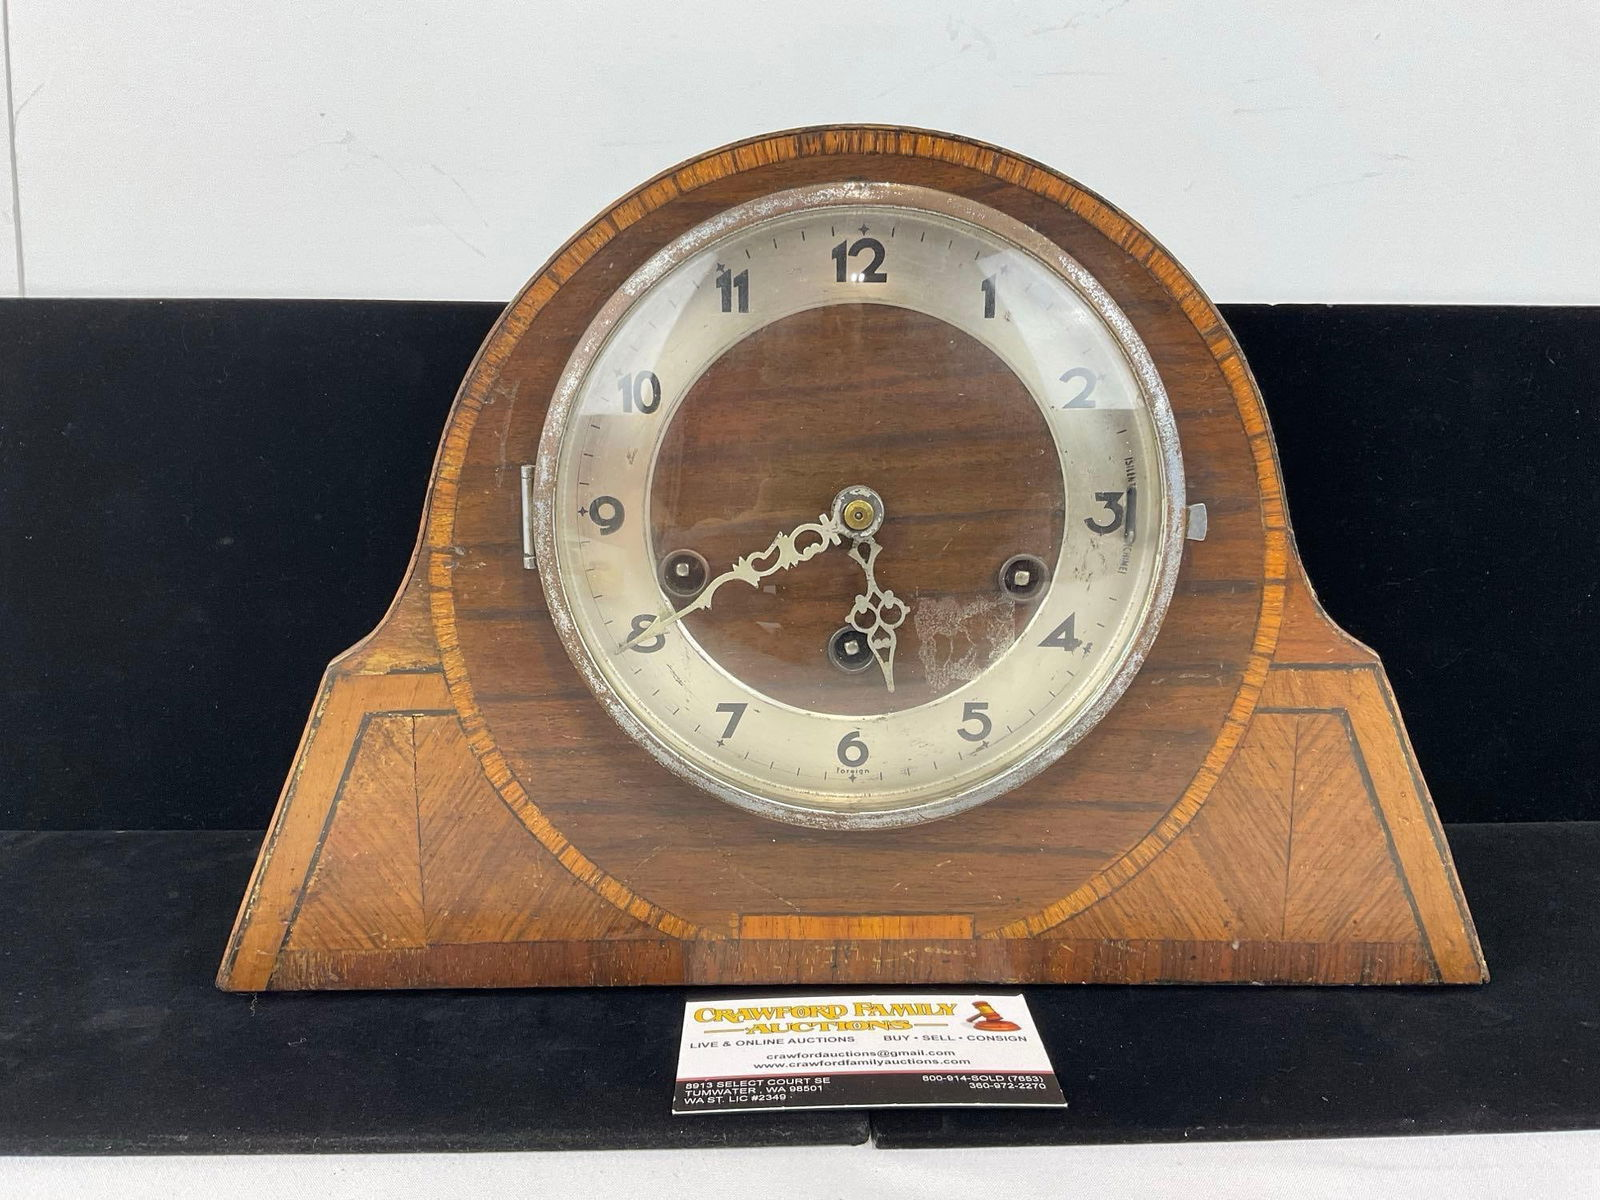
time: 5:40
